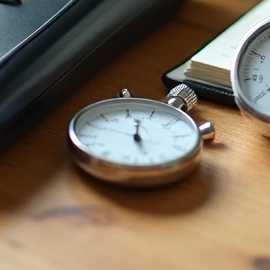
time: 12:27
